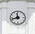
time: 11:42
